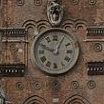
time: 12:48
